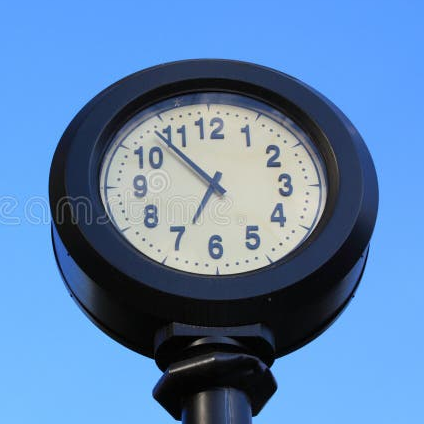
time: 6:53
